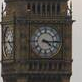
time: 4:15
